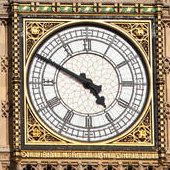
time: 4:49
